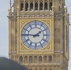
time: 1:46
